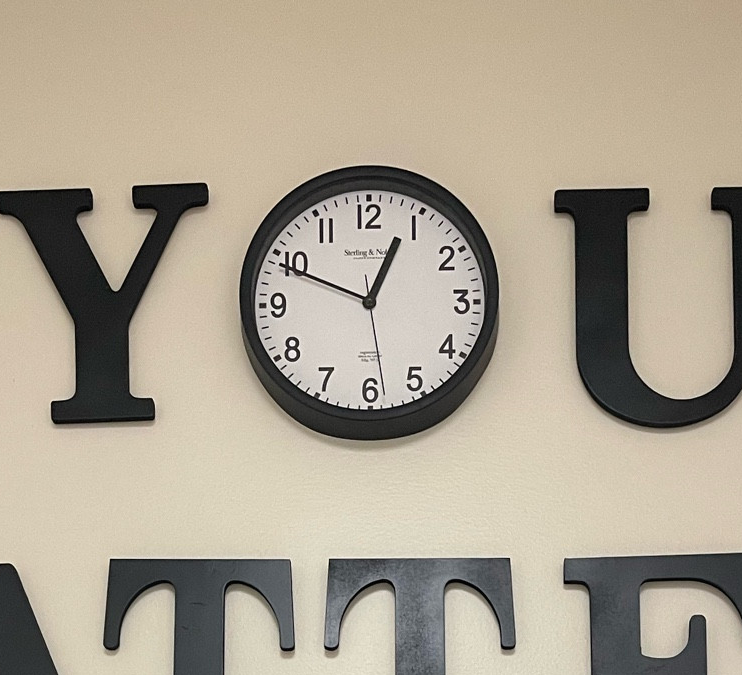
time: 12:48
